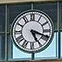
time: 5:18
